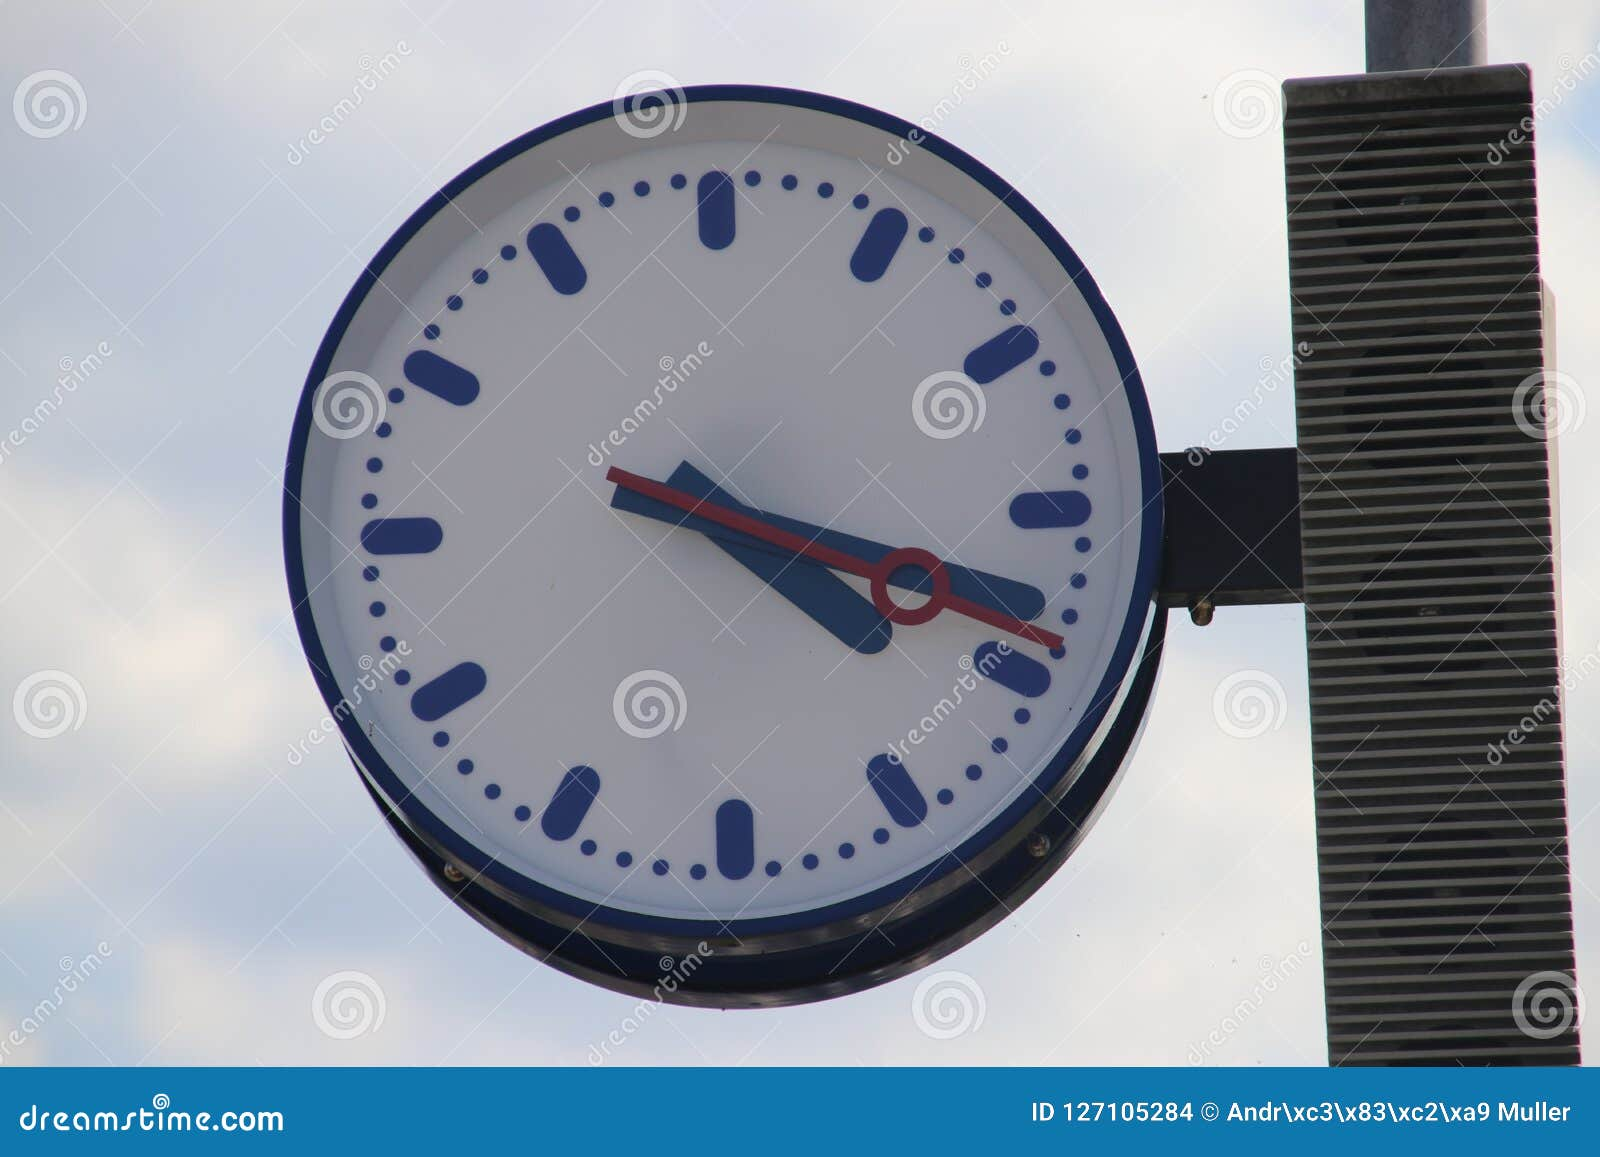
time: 4:18
